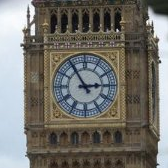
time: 2:54
